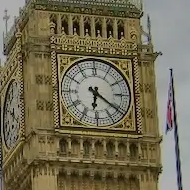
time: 6:21
